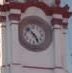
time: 4:52
